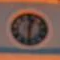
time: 12:30
